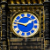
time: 1:46
